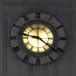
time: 9:21
